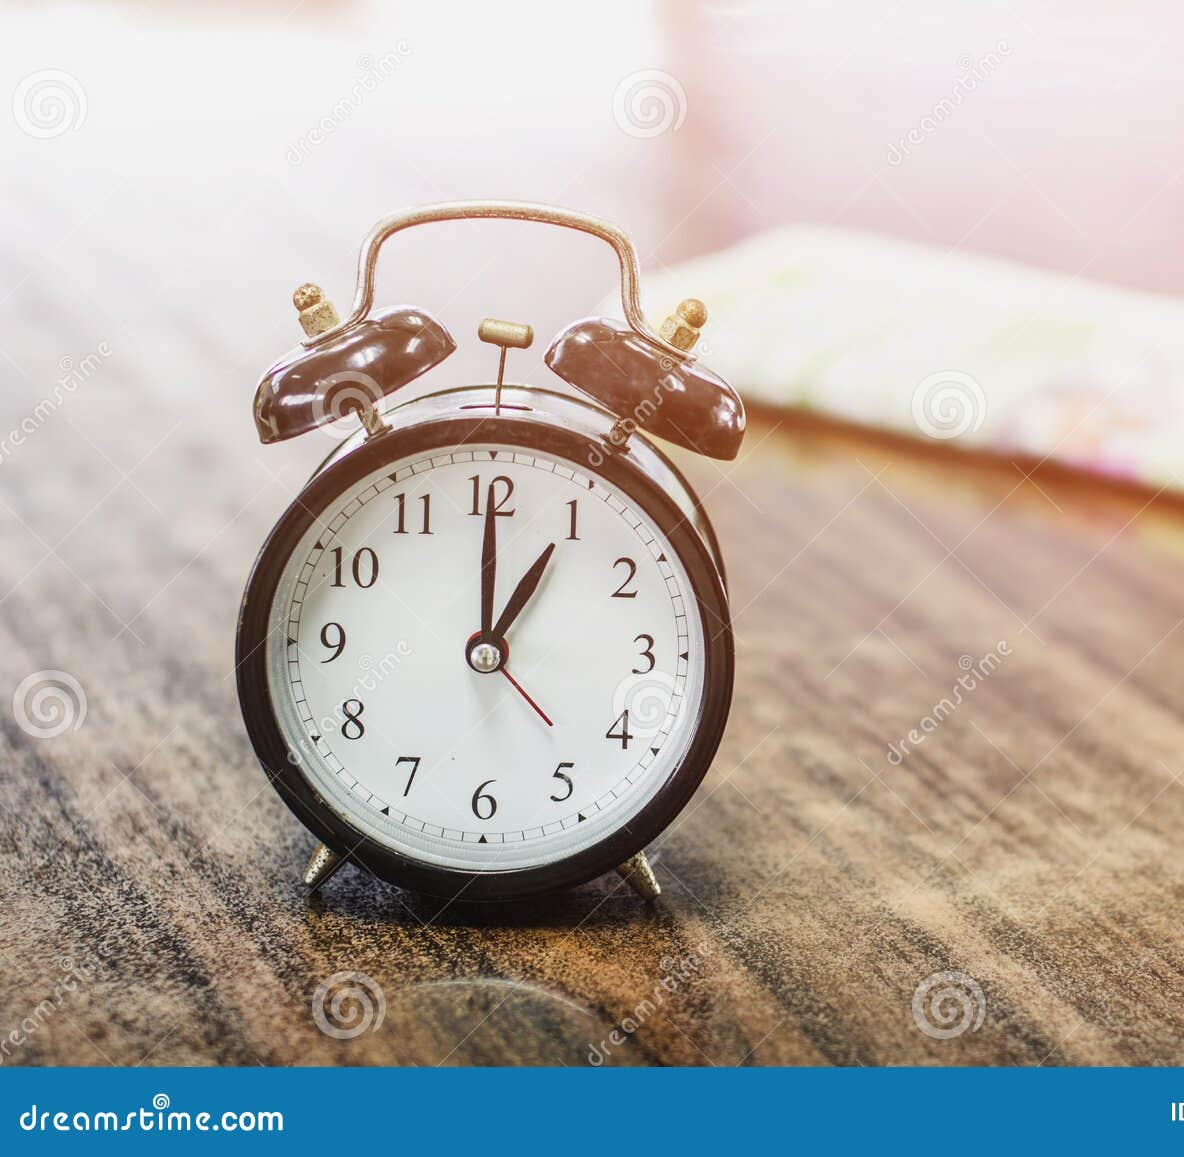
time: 1:00
